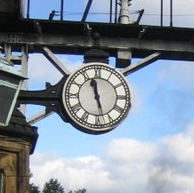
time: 11:27
